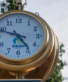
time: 4:48
